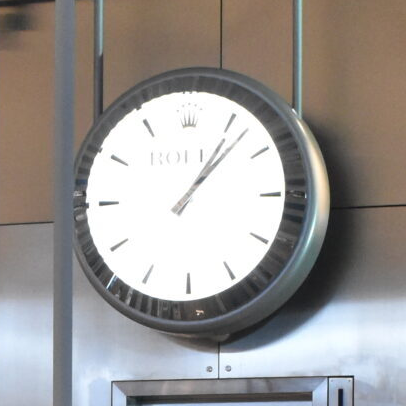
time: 1:07
